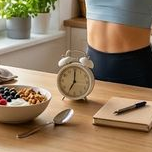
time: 7:00
